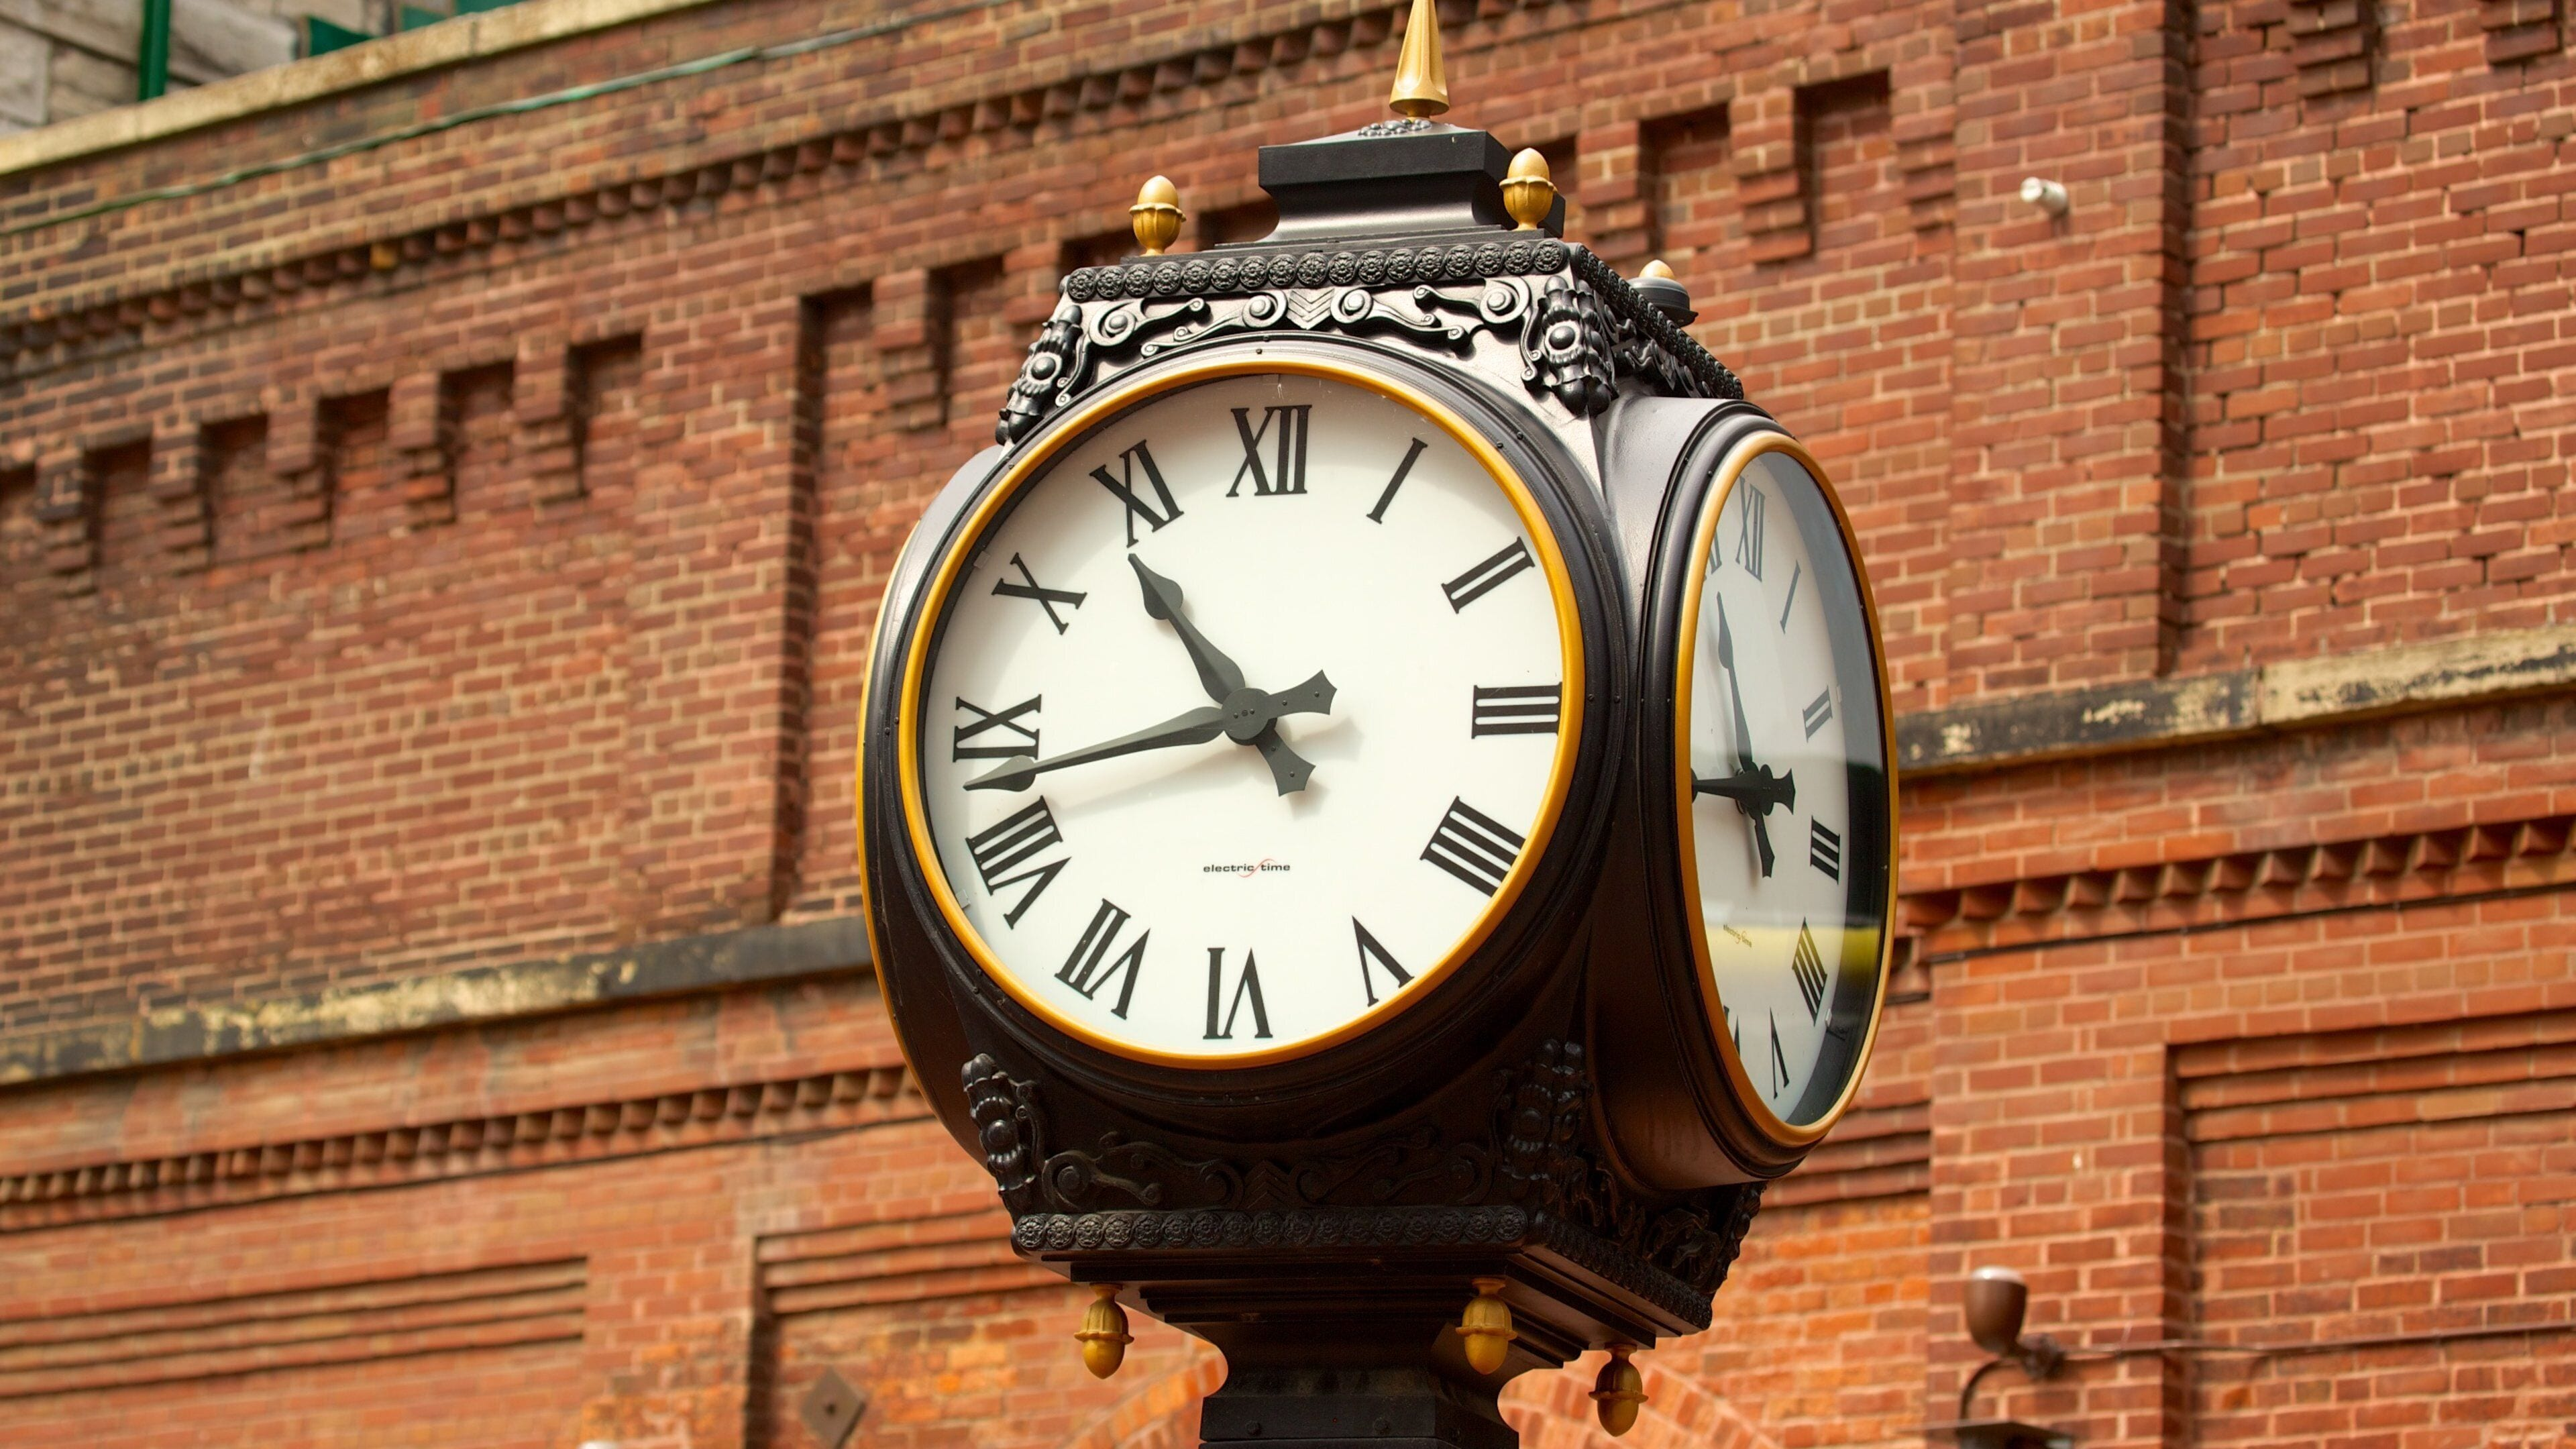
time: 10:42
